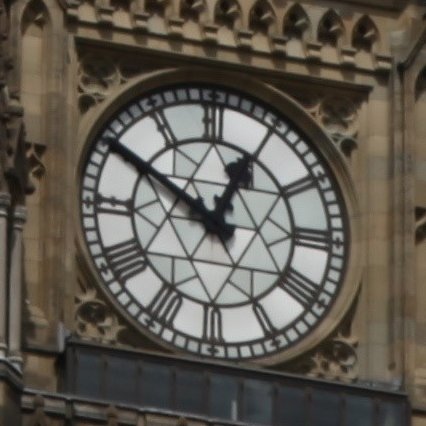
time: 12:50
